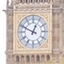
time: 12:49
